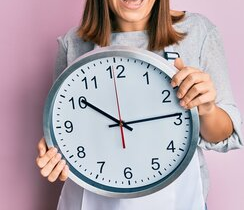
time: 10:13
